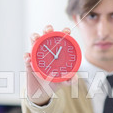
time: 12:52
